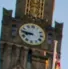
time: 8:46
